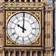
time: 10:00
